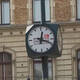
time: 12:18
